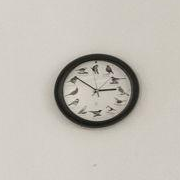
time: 2:51
